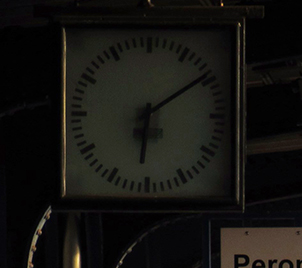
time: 6:09
